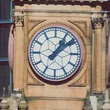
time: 1:08
